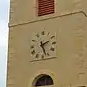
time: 2:26
